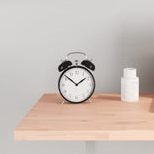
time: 1:51
